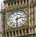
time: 2:30
